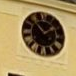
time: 1:52
